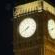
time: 7:40
